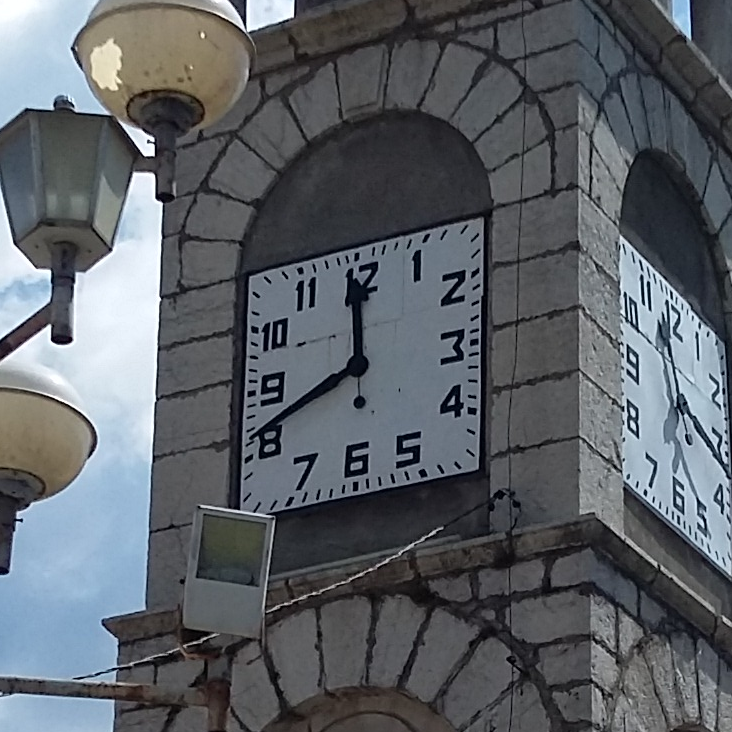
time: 11:41
